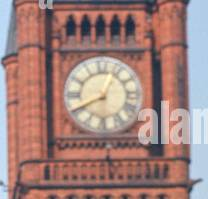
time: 8:04
